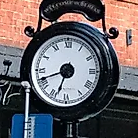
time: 6:41
